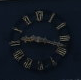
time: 9:17
